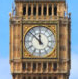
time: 11:52
